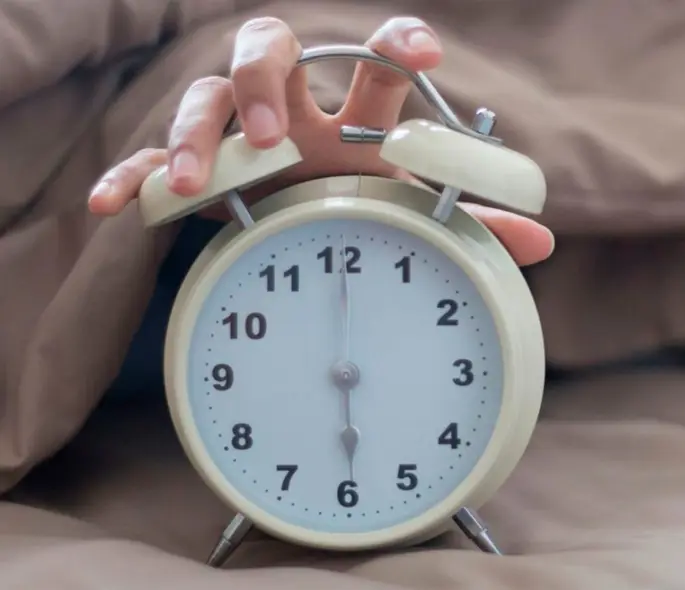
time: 6:00
